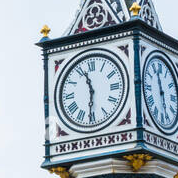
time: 11:30
